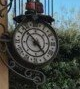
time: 4:52
